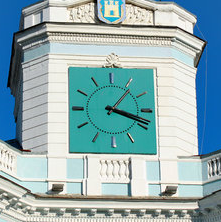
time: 1:18
